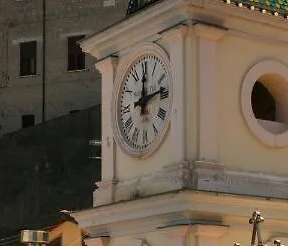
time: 12:13
